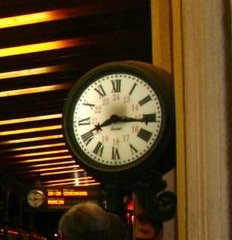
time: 8:15
